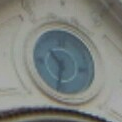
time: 10:32
